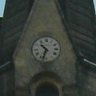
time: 10:32
